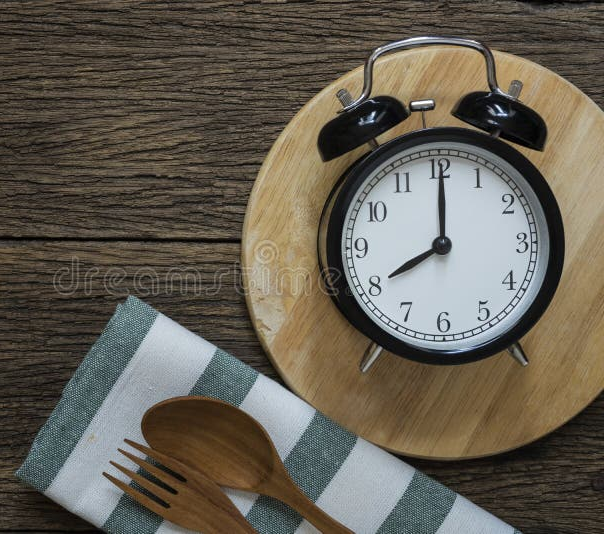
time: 8:00
